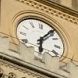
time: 6:06
